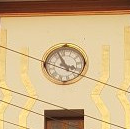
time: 3:56
